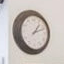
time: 1:11
